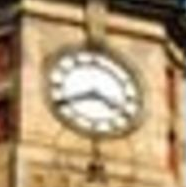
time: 3:40
